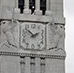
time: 1:52
